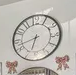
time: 6:42
